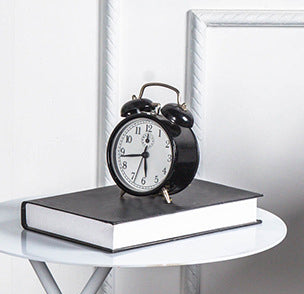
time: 5:43
